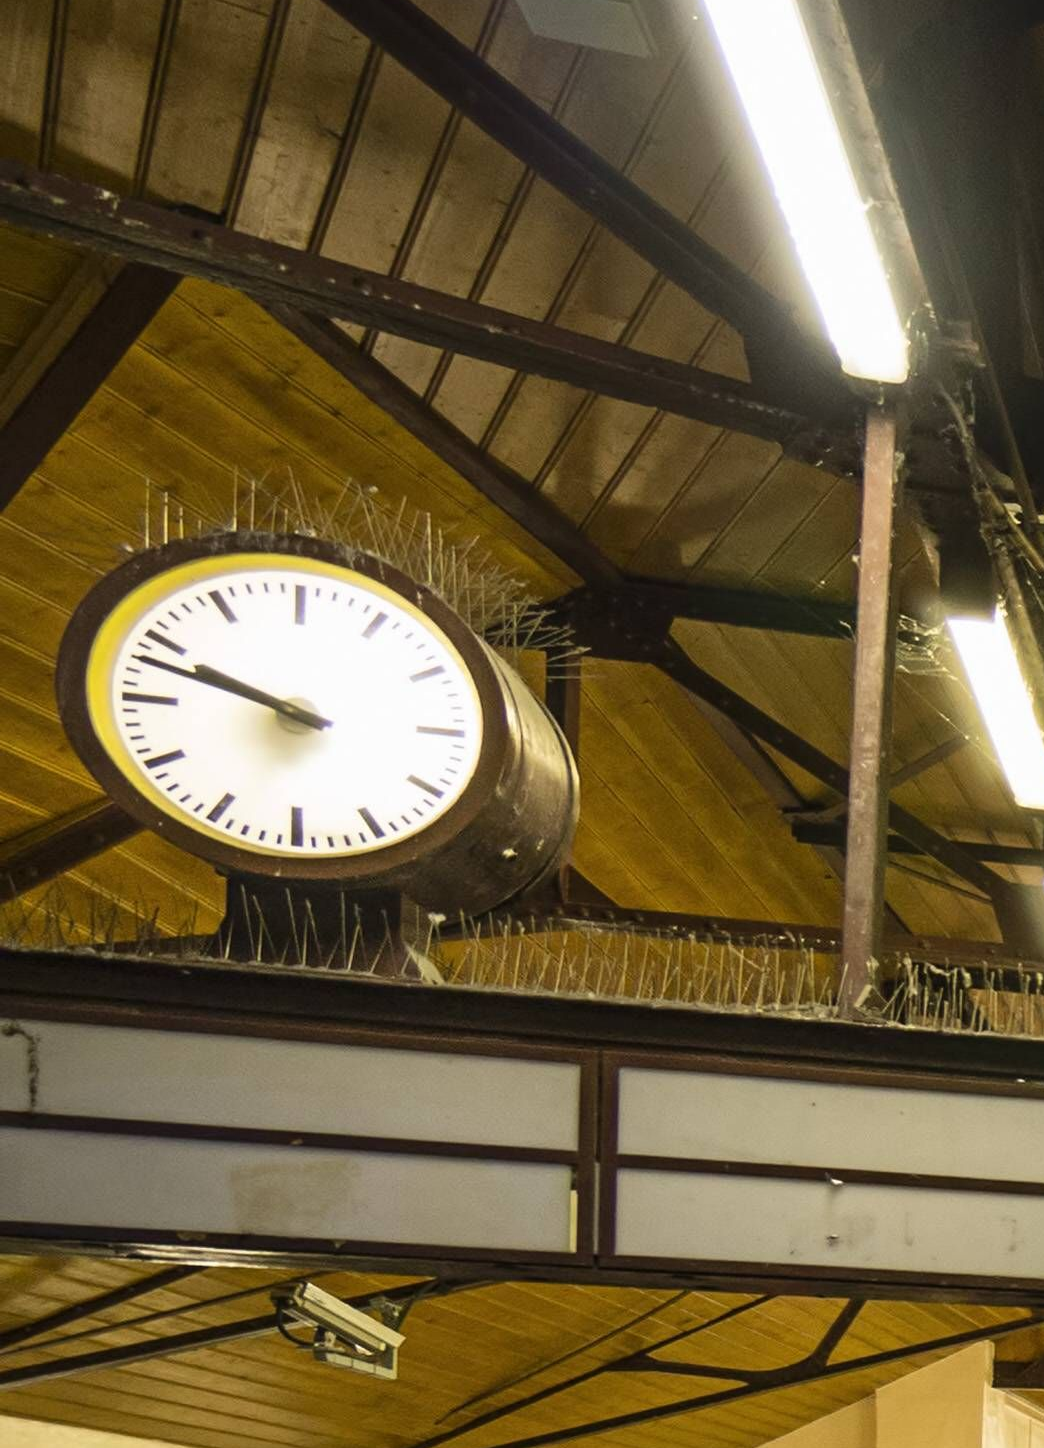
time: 9:48
